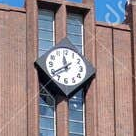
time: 11:39
